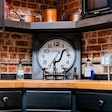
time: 6:06
